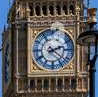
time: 2:21
